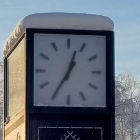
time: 12:35
